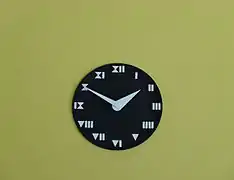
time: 1:50
